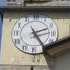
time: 2:24
